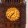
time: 7:37
